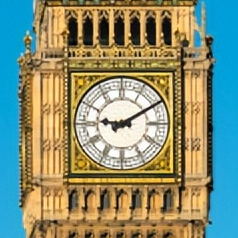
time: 9:10
